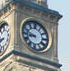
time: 8:47
